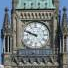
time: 9:48
